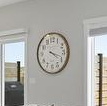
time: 4:18
